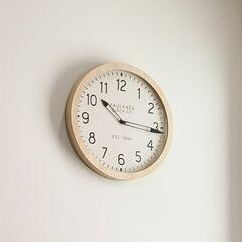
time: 10:15
